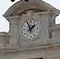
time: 1:56
